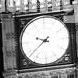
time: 9:38
